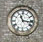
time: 11:16
